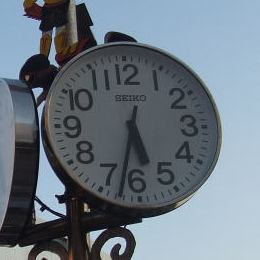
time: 5:32
